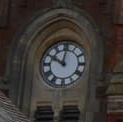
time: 10:00
